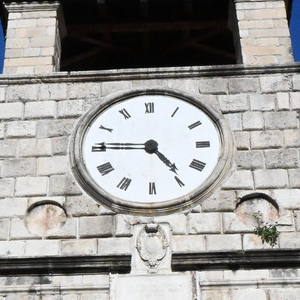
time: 4:45
